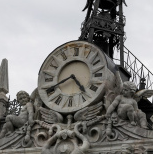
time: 4:40
